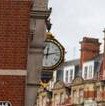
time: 12:13
